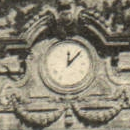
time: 12:07
